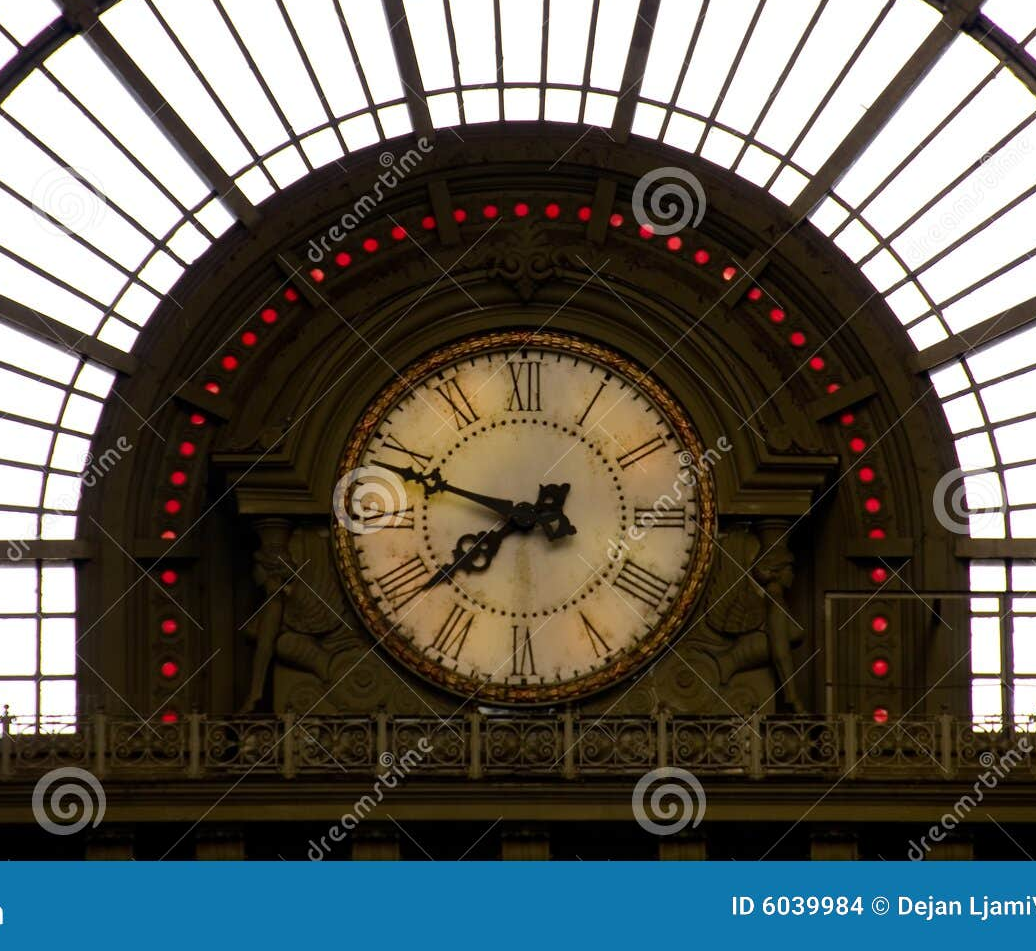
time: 7:48
